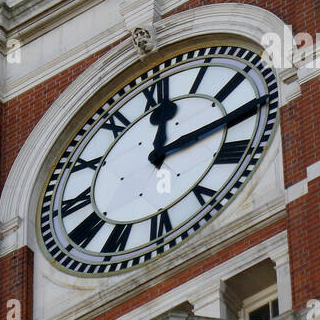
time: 12:14
